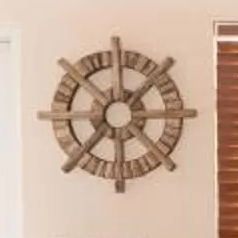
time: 7:07
